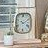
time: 4:09
